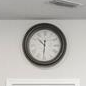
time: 10:30
